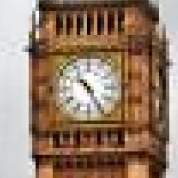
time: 10:26
